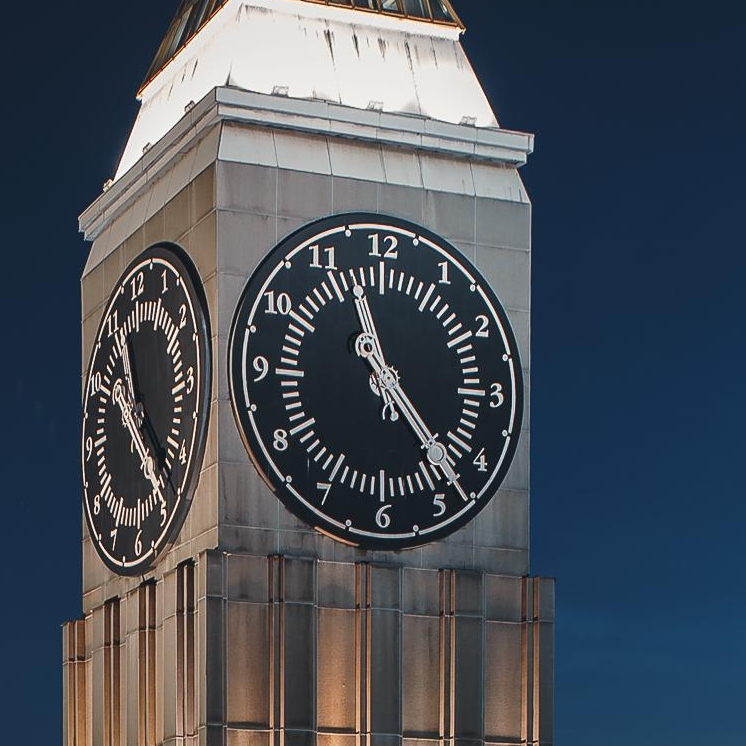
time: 11:23
